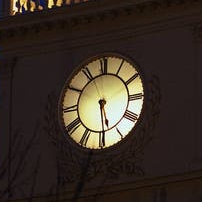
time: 5:29
